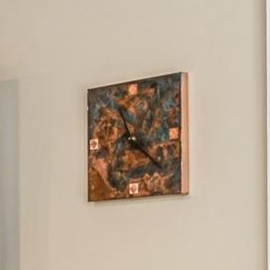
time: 11:21
